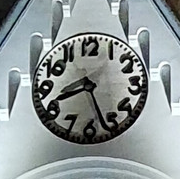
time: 8:26
